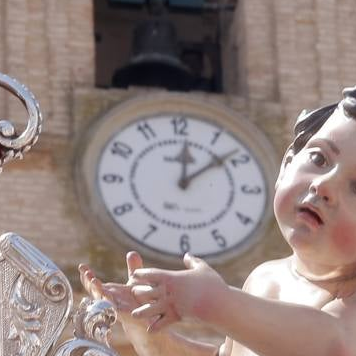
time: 12:08
